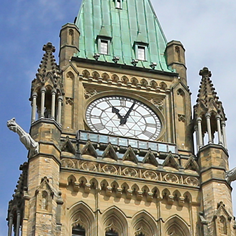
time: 11:03
